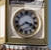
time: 3:40
